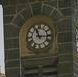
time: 11:15
